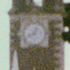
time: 12:41
